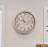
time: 10:47
